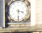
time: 3:30
